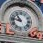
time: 10:46
